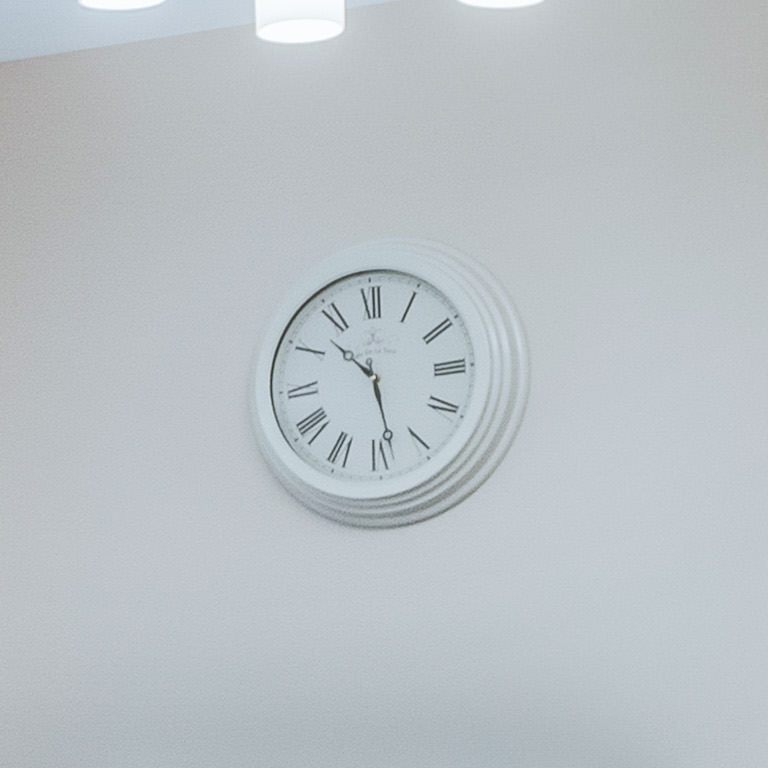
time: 10:28
